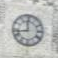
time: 11:42
